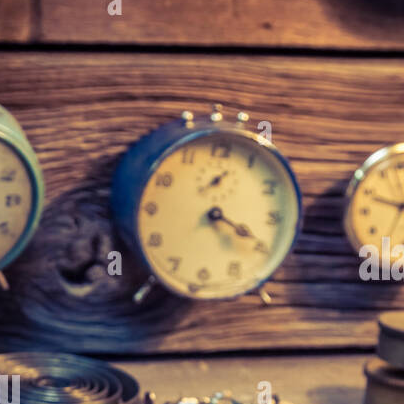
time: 4:19
